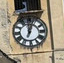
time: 12:03
